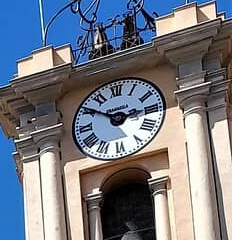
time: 2:50
